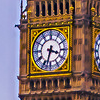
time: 3:32
